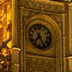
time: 7:25
